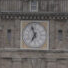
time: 6:56
